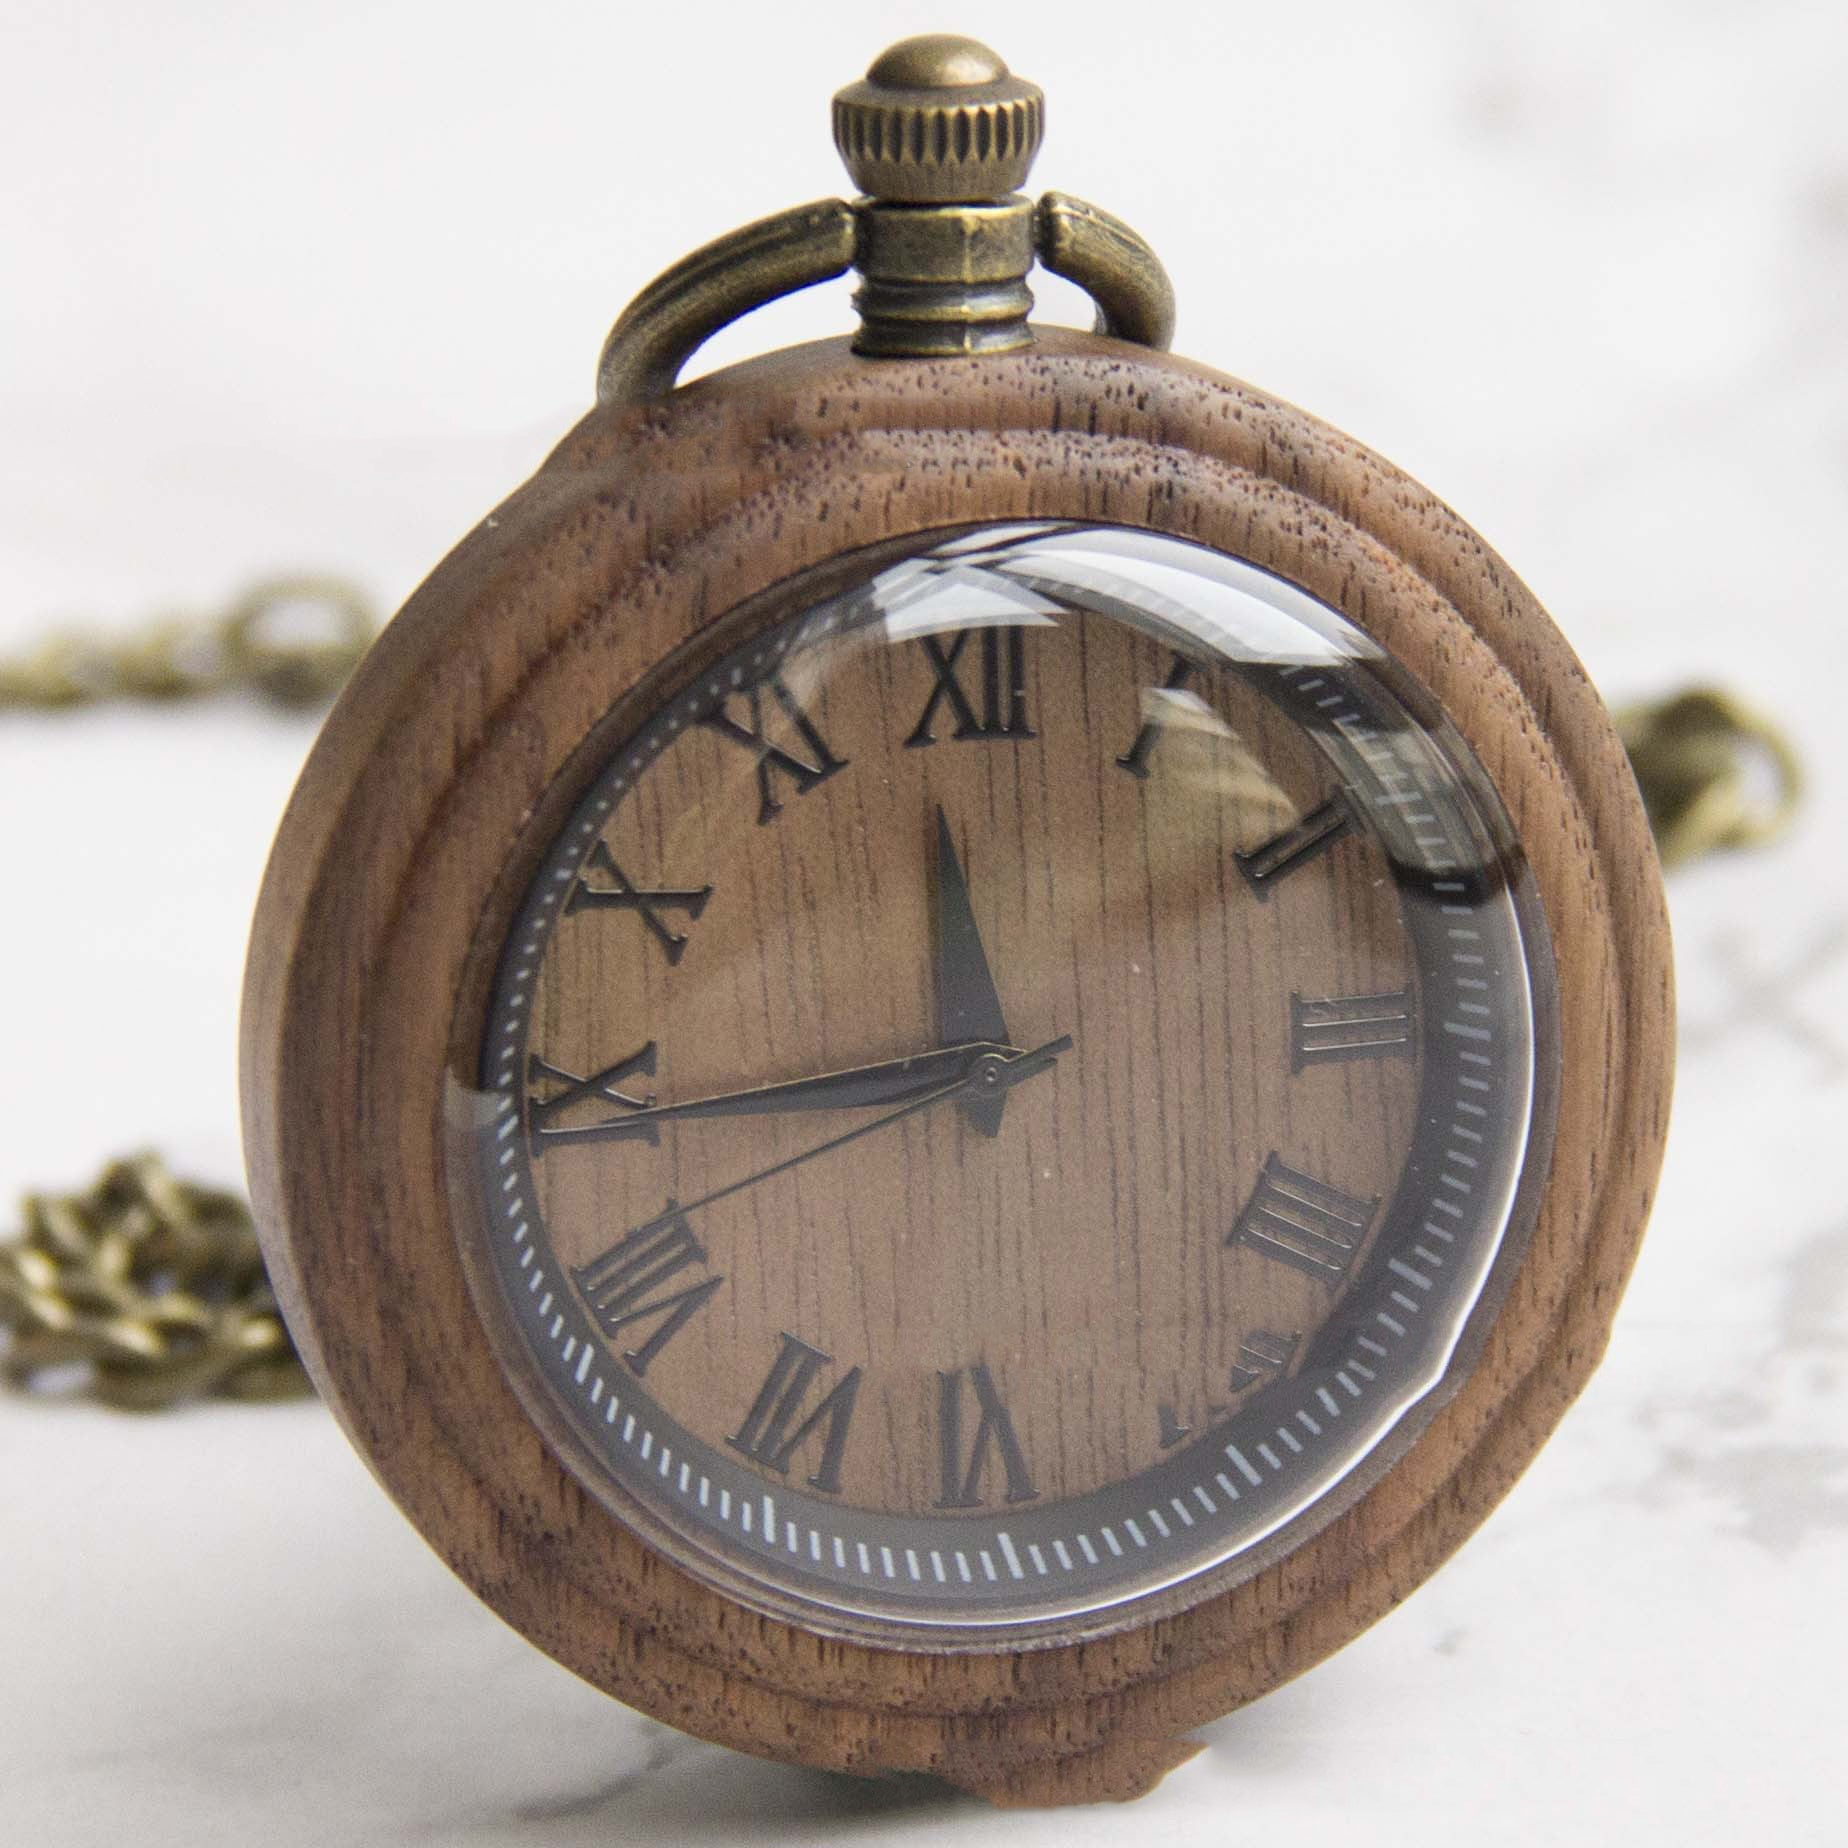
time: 11:44
